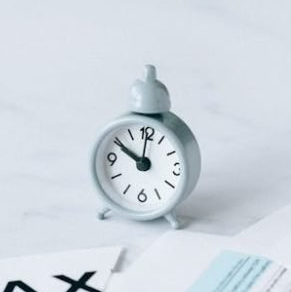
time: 10:00
